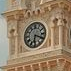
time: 6:18
